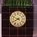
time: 9:40
